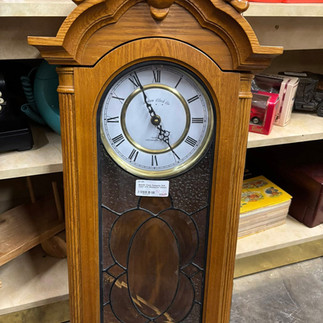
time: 4:56
